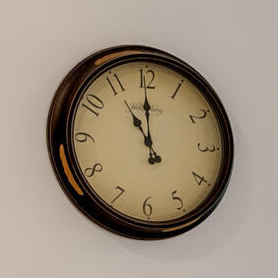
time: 10:59
